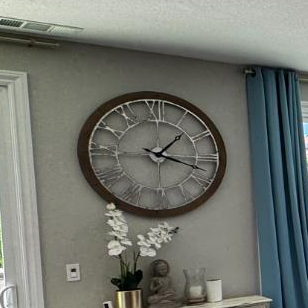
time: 1:18
